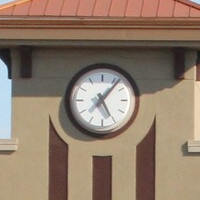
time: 5:06
